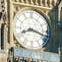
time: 8:17
